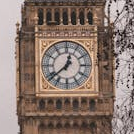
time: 12:38
